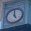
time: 4:59
